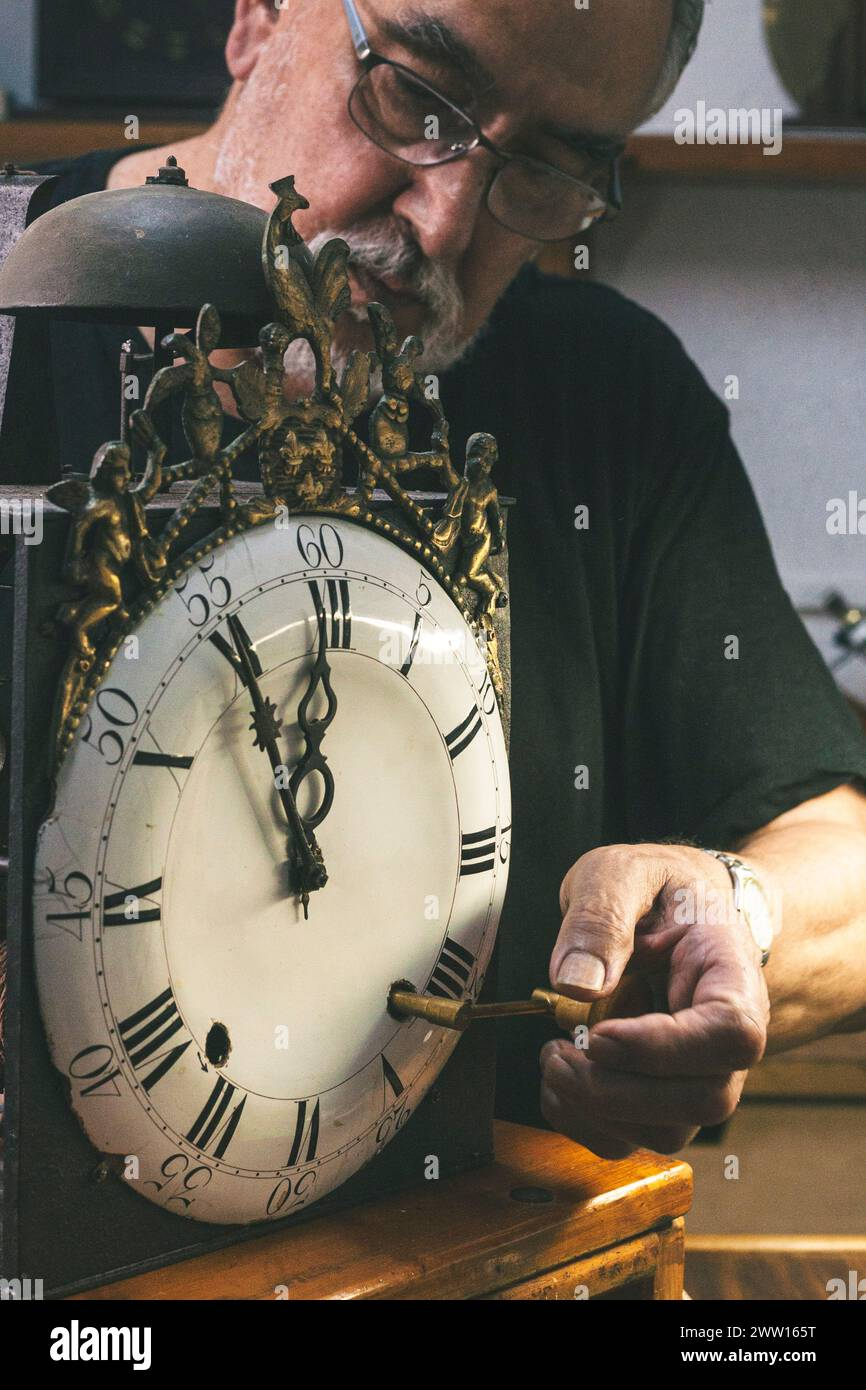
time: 11:55
